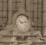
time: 10:12
